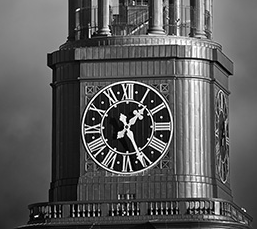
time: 1:25
